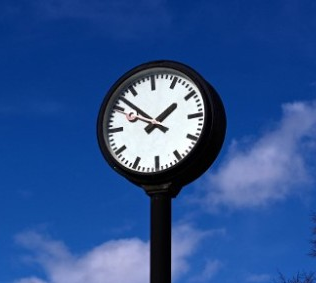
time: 1:52
